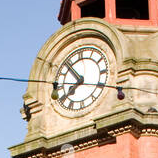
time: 7:53
